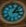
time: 3:06
